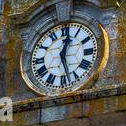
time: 12:27
